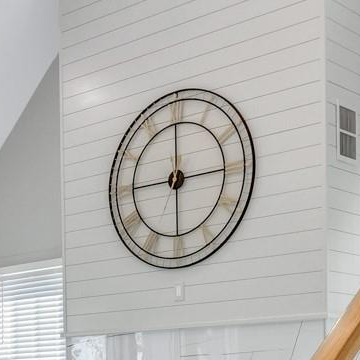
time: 5:59
